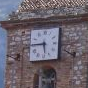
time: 5:44
